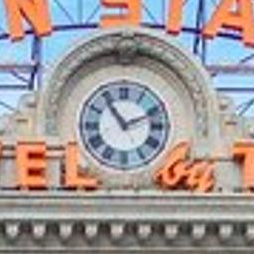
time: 11:11
